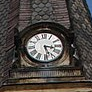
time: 3:27
